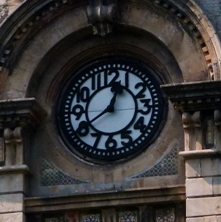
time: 12:39
